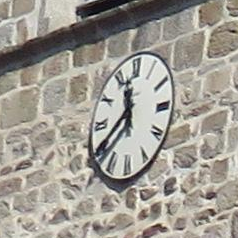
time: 11:37
